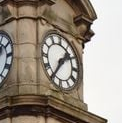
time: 1:35
